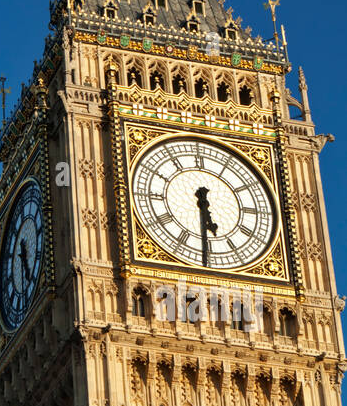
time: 5:30
